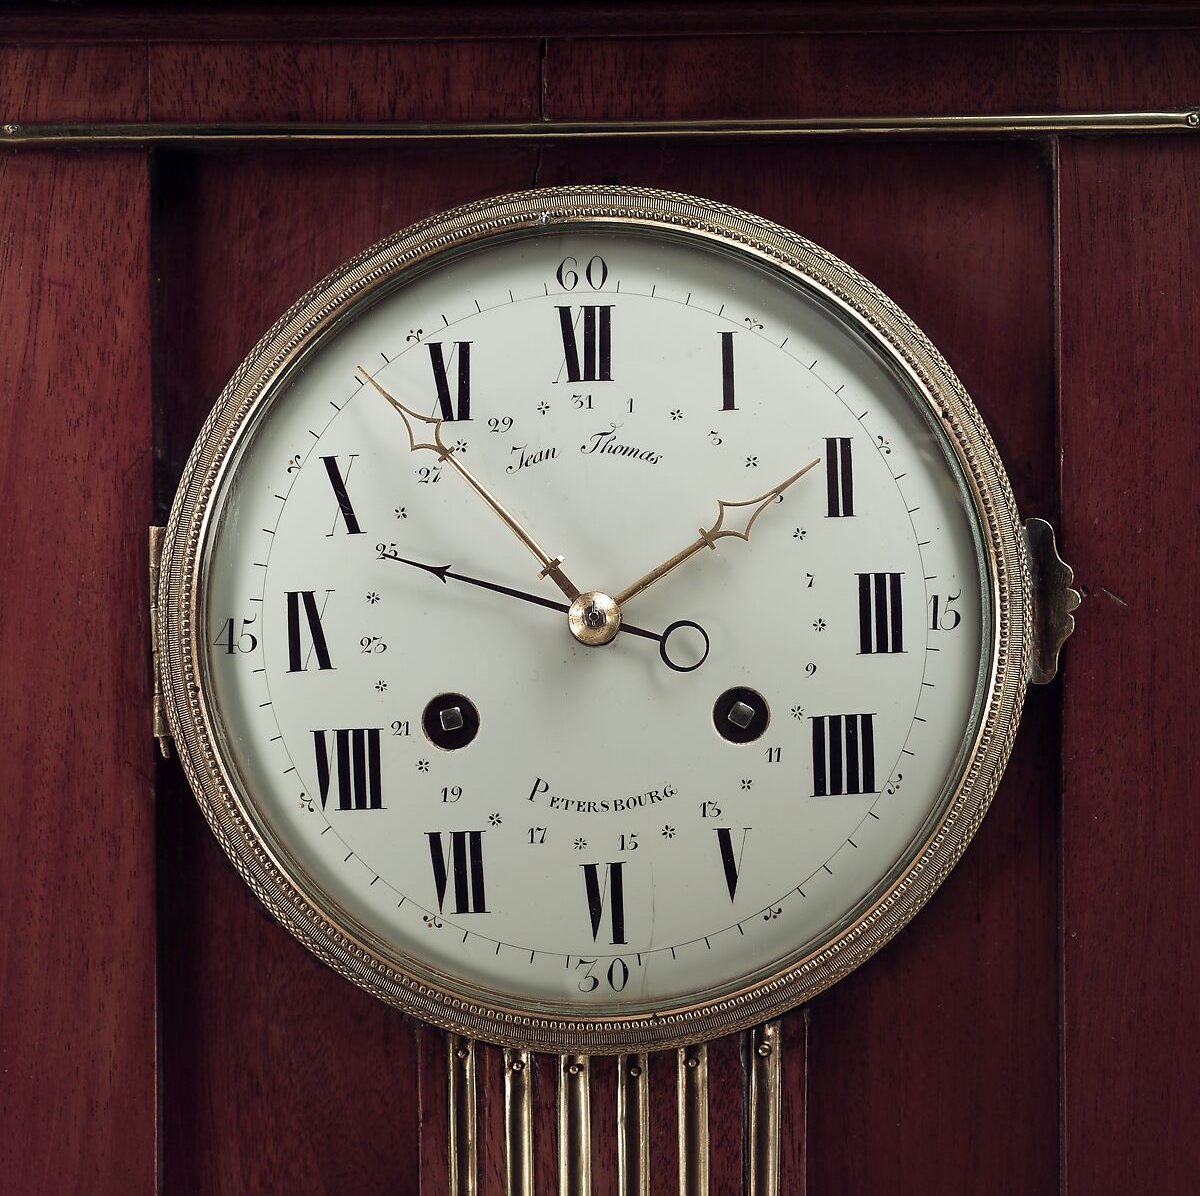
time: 1:47
